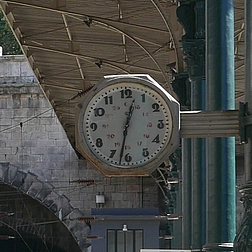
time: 12:32
